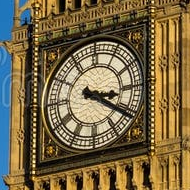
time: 3:20
